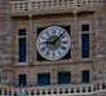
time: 9:07
